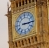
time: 3:14
